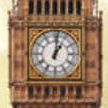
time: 1:01
